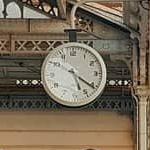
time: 5:20
